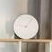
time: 9:07
